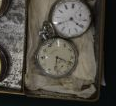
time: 6:18
